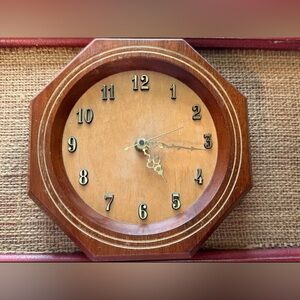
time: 4:16
